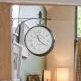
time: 11:20
